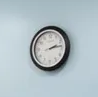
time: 2:13
